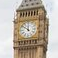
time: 11:51
